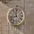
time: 11:43
